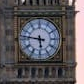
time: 5:46
